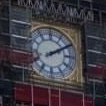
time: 2:09
